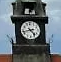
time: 4:42
